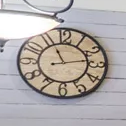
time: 11:13
